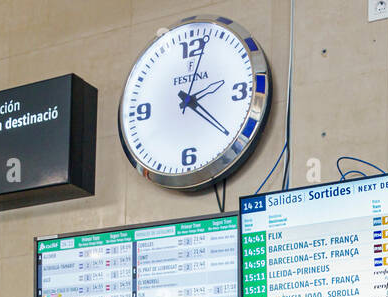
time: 4:02
